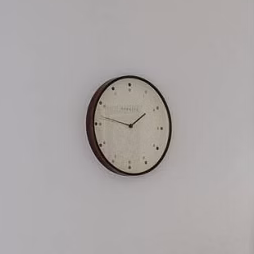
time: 1:46
